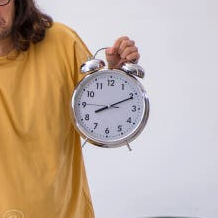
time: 8:10
